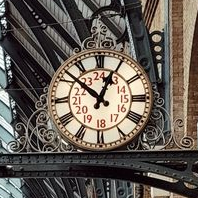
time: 12:52
